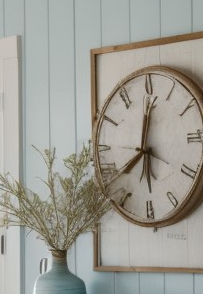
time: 6:00
